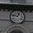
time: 12:47
